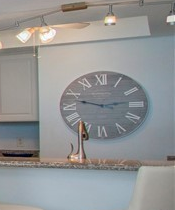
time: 2:47
